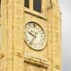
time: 9:36
